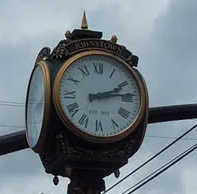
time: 2:13
